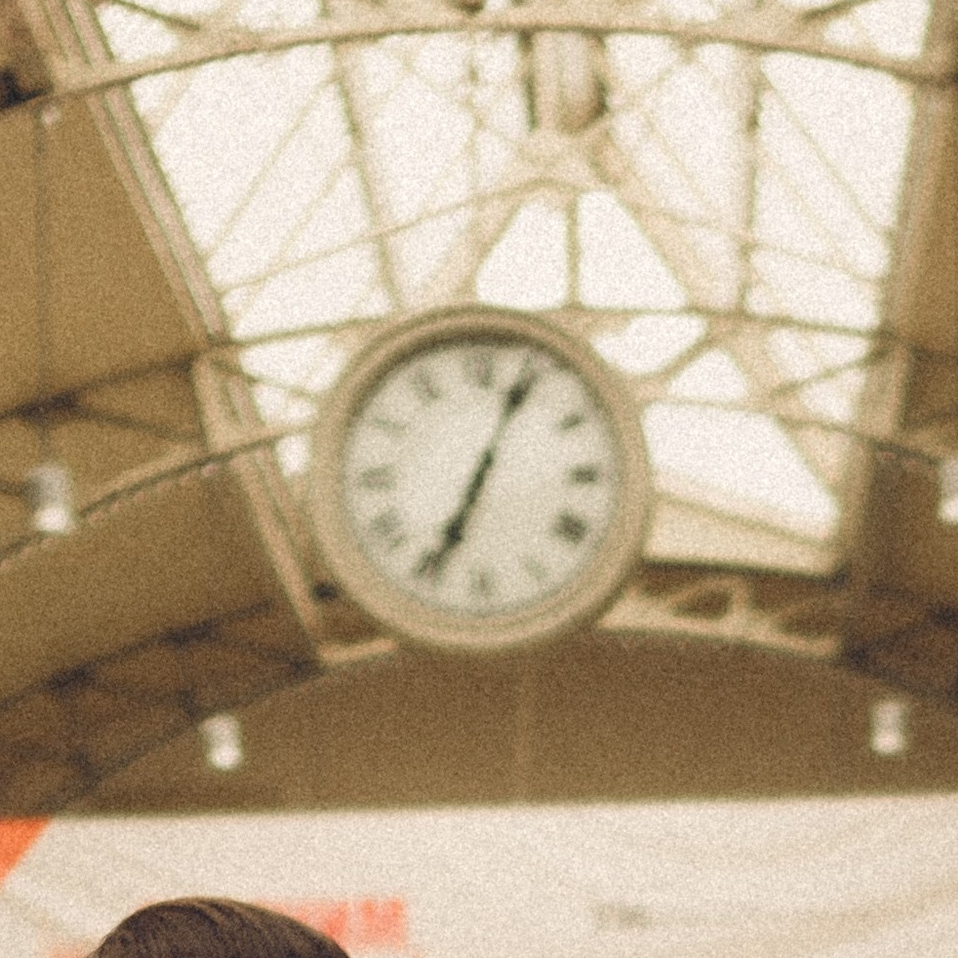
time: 7:04
